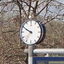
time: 9:50
